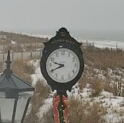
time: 9:41
